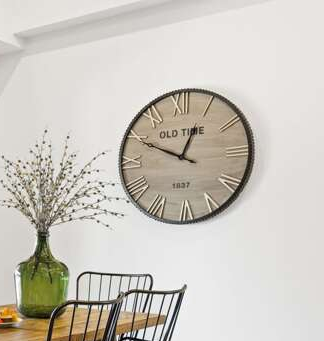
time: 12:49
